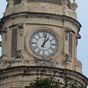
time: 1:02
